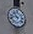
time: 10:42
